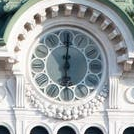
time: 6:00
